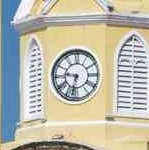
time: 9:32
